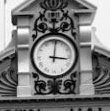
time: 12:16
